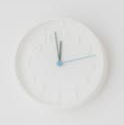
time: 11:58
